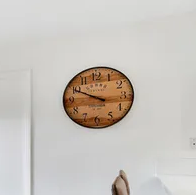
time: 9:49
